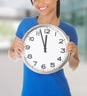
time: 11:56
